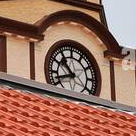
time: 10:41
